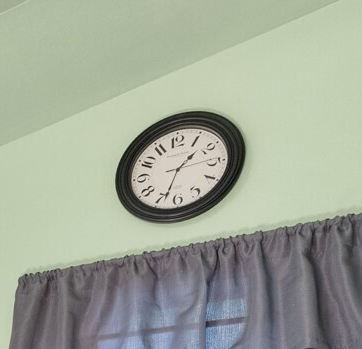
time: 1:33
